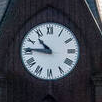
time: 10:45
